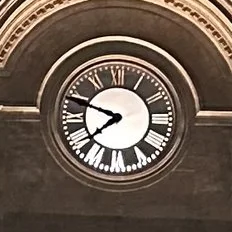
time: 7:48
